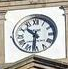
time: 10:31
